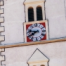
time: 7:47
